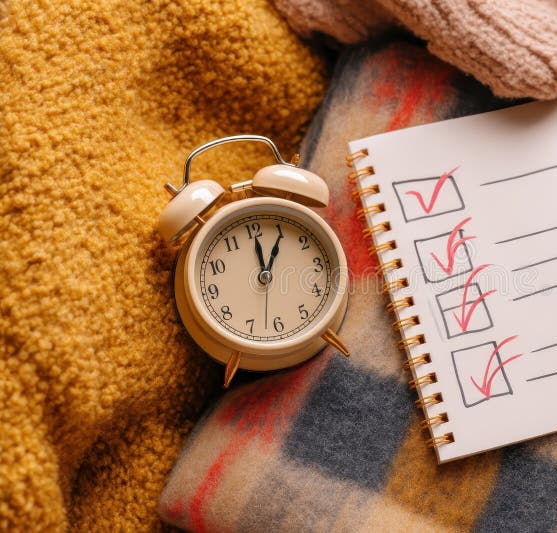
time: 12:05
